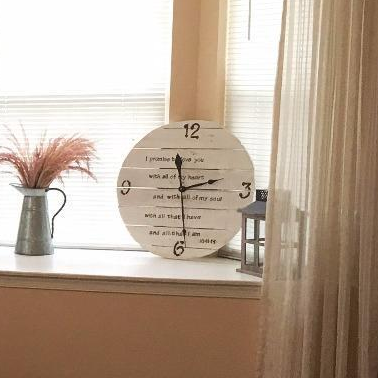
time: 2:29
